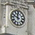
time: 11:48
